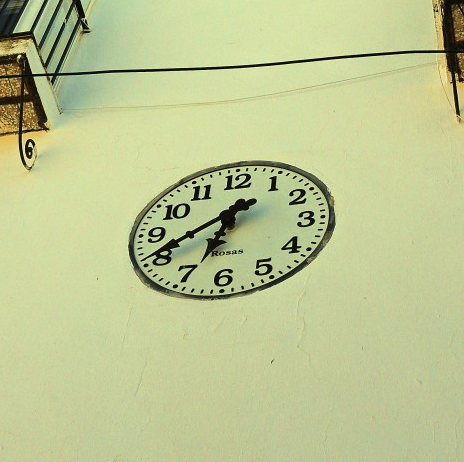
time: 6:40
